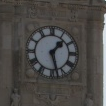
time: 1:27
